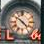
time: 4:50
